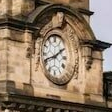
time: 1:41
